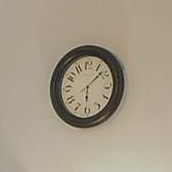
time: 6:08
